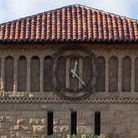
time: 12:22
